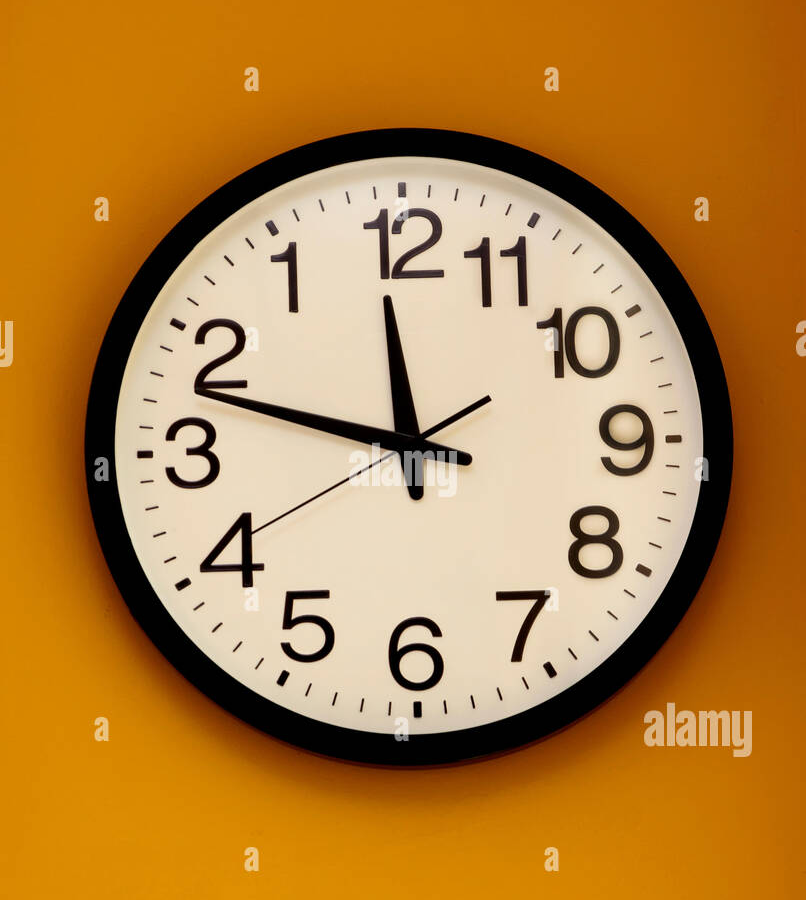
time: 11:47
